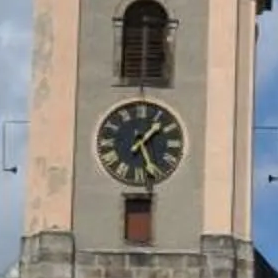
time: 1:26
